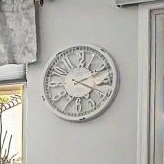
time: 2:18
